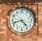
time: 4:42
